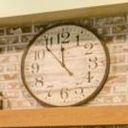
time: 11:53
